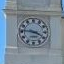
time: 3:46
